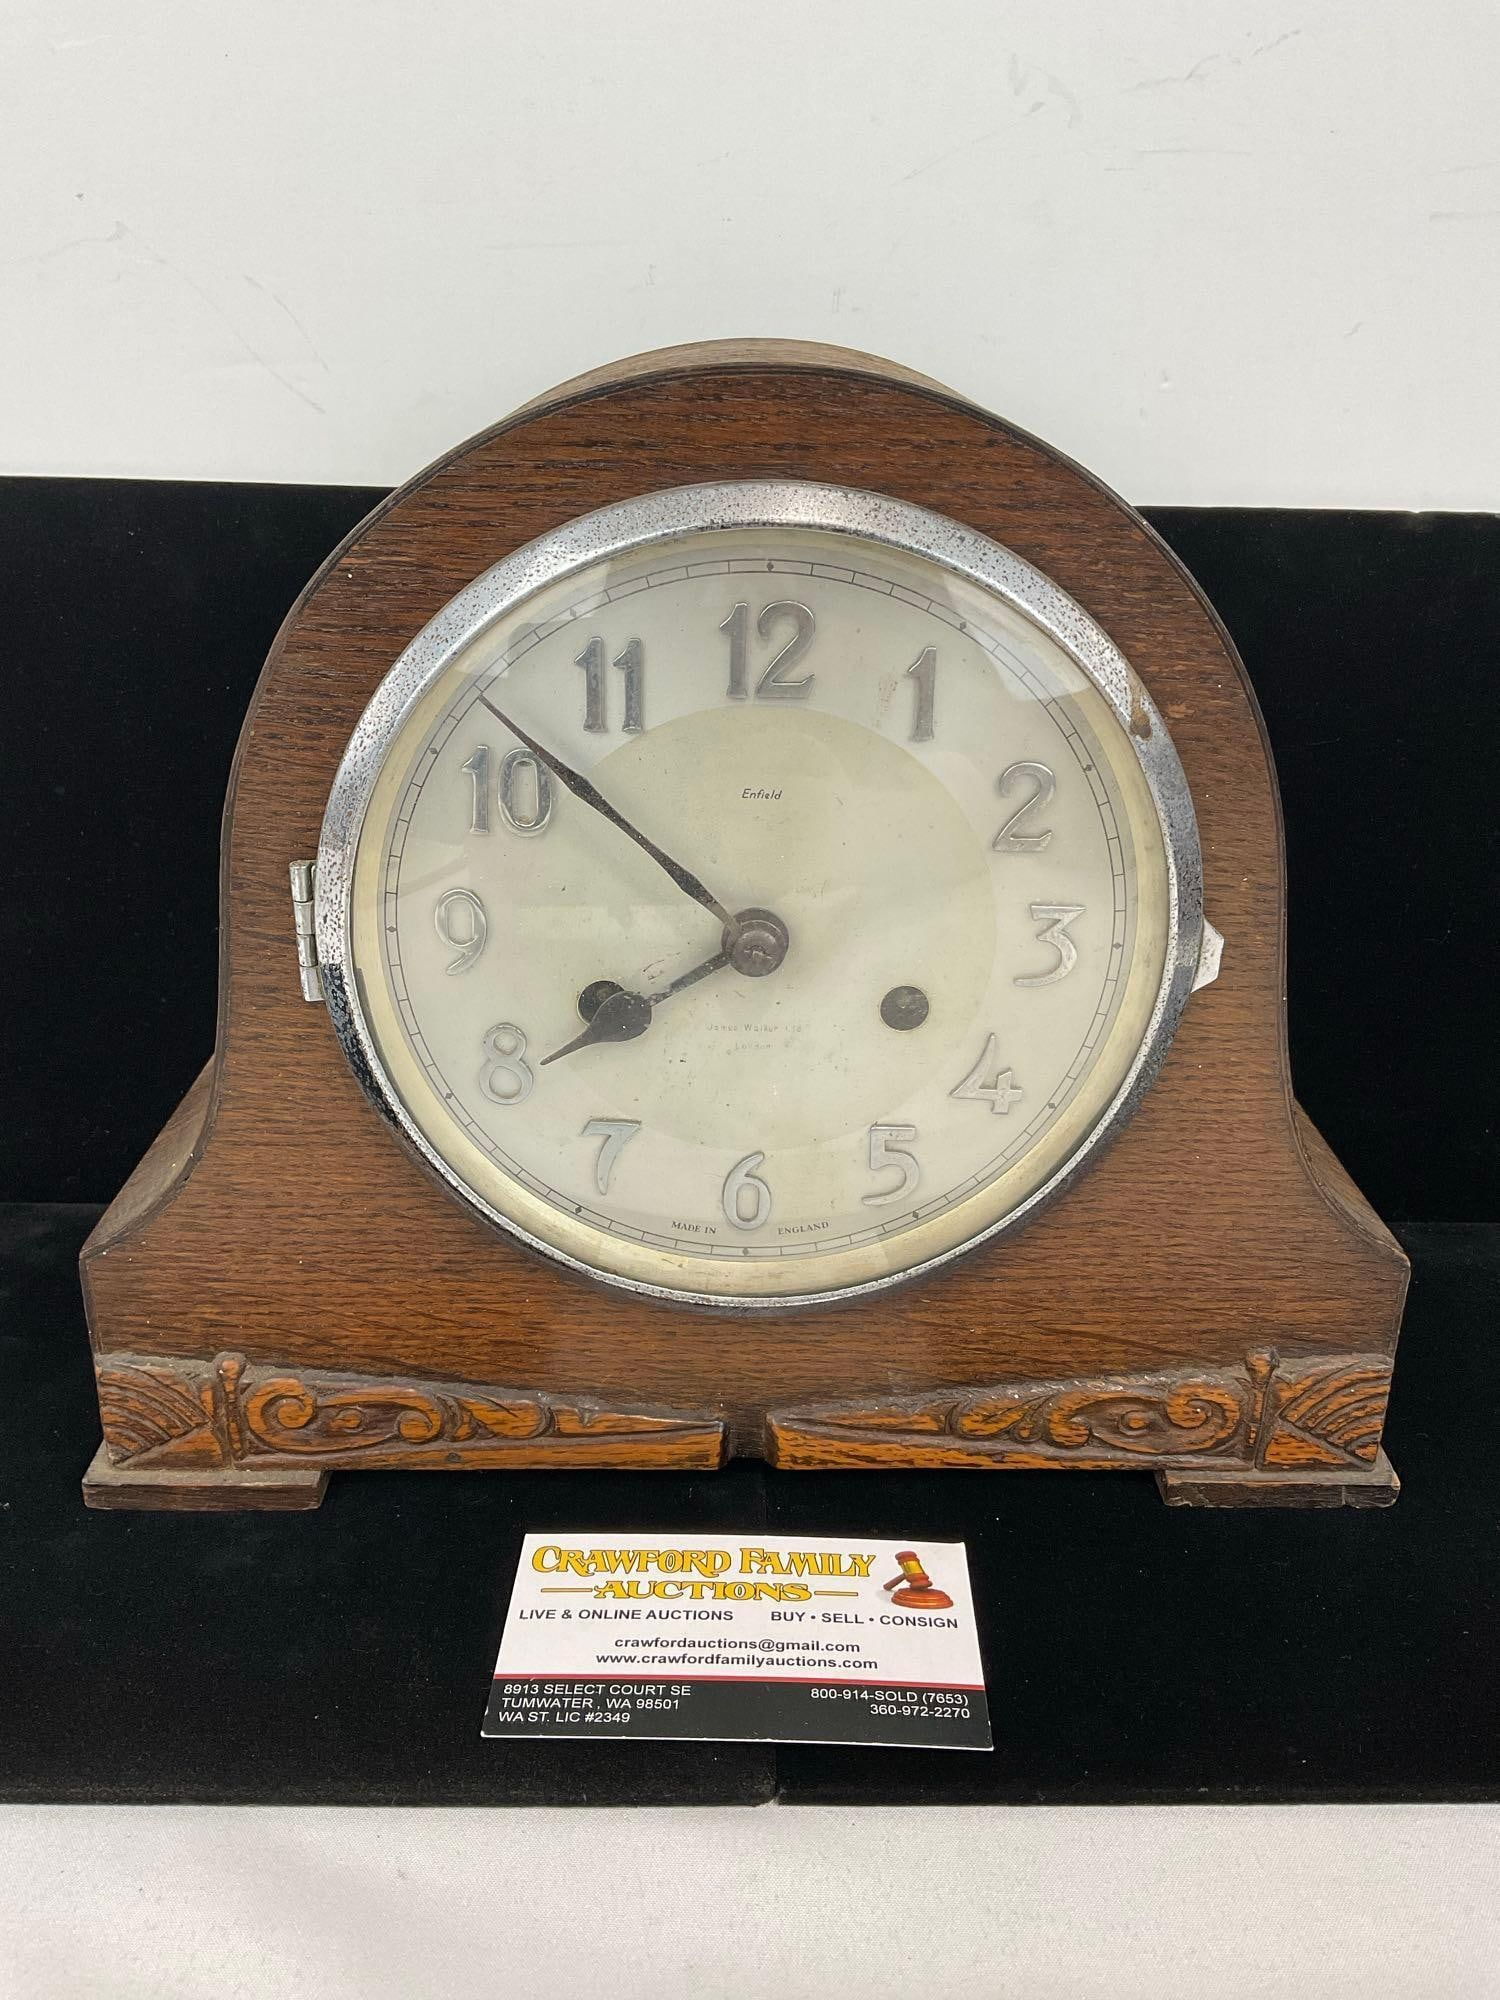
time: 7:51
